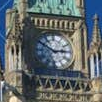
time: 2:50
